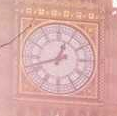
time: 12:42
